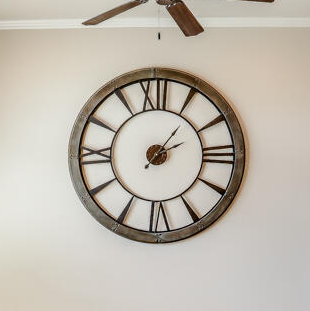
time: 2:06
